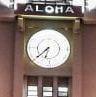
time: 6:38
